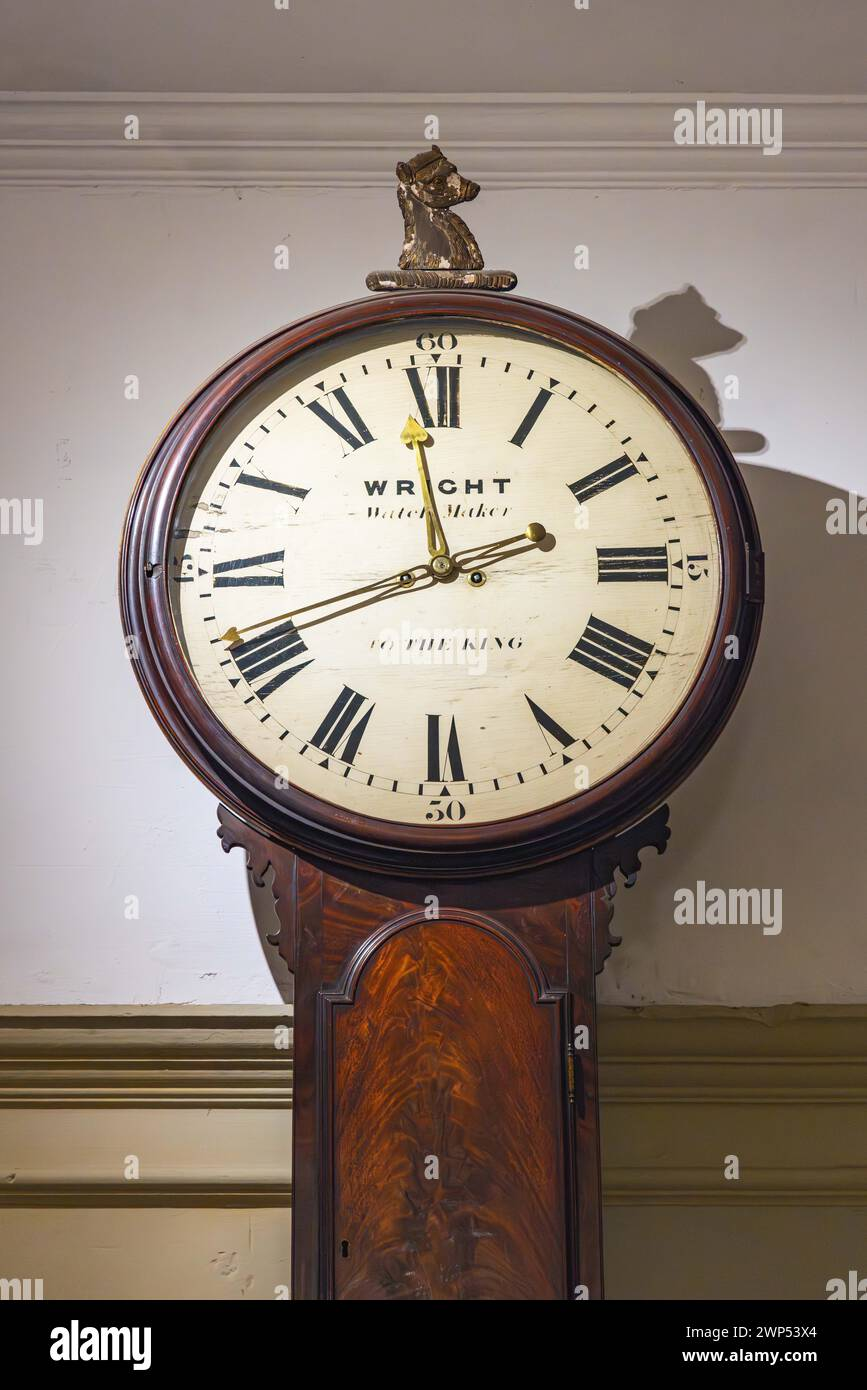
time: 11:41
